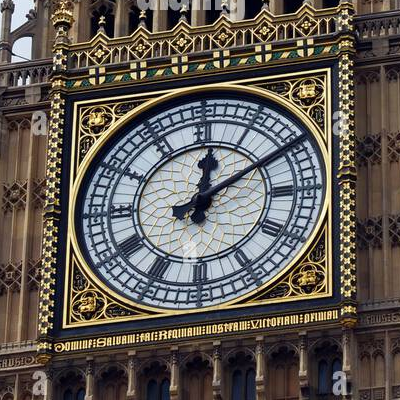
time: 12:09
